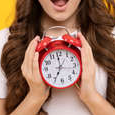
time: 6:59
